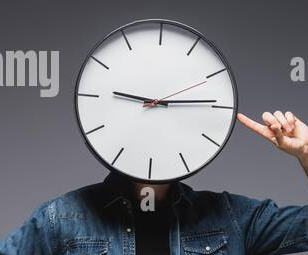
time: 9:13
